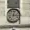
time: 3:02
